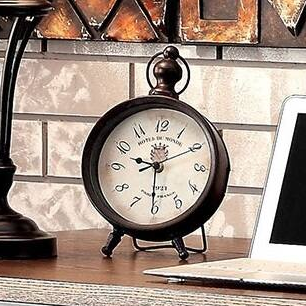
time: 9:30
